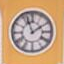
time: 1:56
